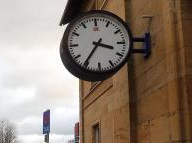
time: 3:36
